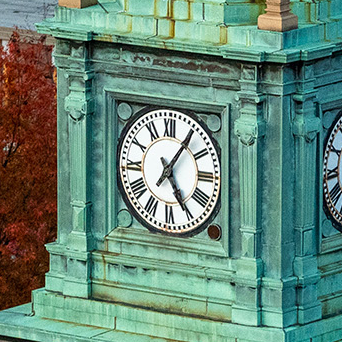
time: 5:05
